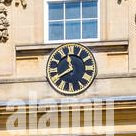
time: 11:40
